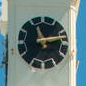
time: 11:13
